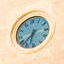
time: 6:37
